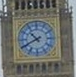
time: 10:40
